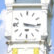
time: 3:16
